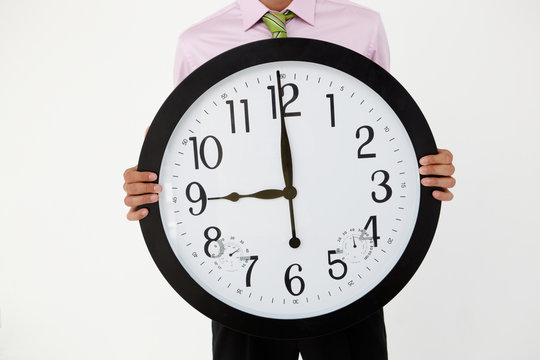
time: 8:59
